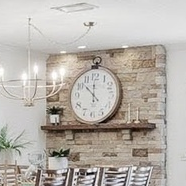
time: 11:52
